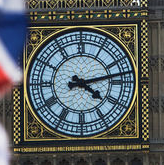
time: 4:12
